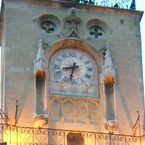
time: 8:32
